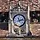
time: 11:12
